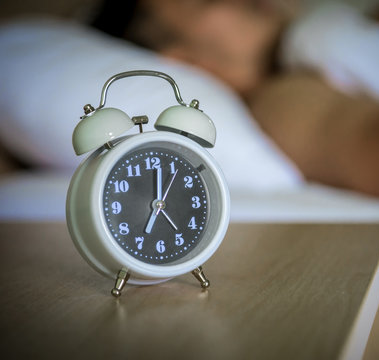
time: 7:01
